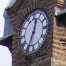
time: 12:34
